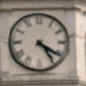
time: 4:20
